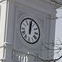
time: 12:01
